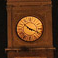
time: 10:18
